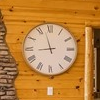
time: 8:57
